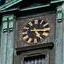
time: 5:14
